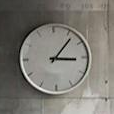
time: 3:06
